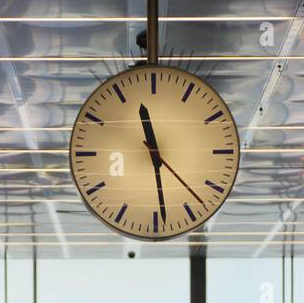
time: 11:28
